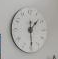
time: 1:29
